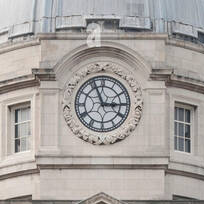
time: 2:56
